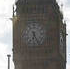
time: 6:25
